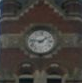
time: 1:46
